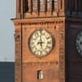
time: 8:27
